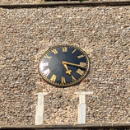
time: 5:17
